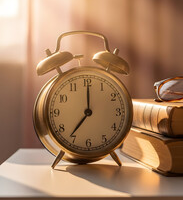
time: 7:00
